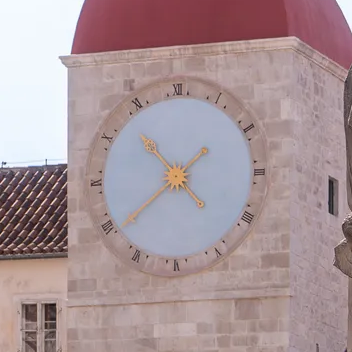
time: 10:38
